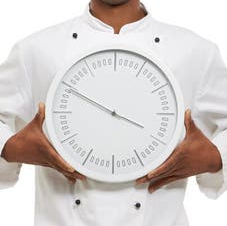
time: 3:49
